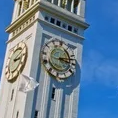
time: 3:12
